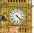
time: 4:22
